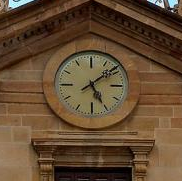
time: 5:08
